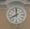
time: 7:59
